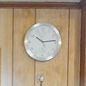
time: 10:13
